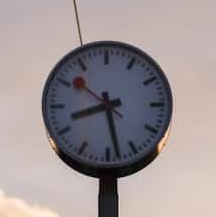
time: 8:28
